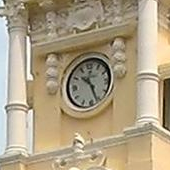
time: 10:26
